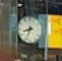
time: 8:33
